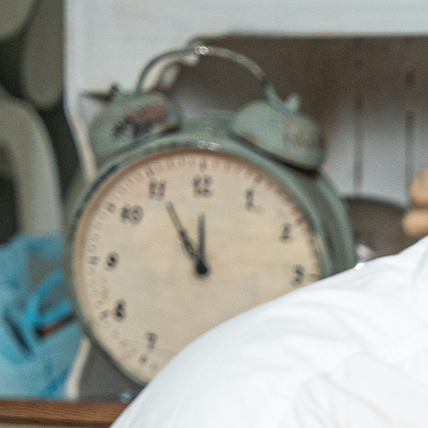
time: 11:55
